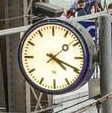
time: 4:19
